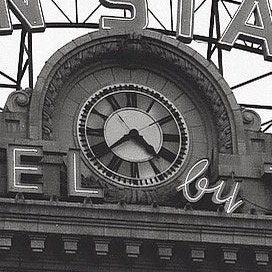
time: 4:38
